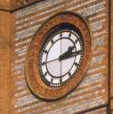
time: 2:14
